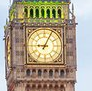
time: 9:04
